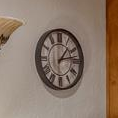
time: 1:13
